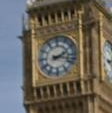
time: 2:17
